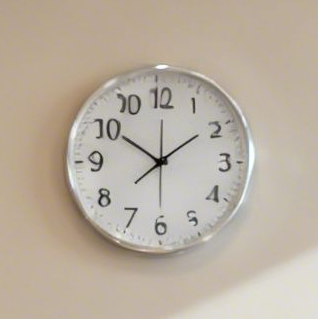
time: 1:50
